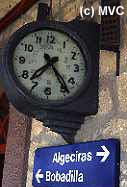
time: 7:23
